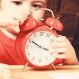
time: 3:50
